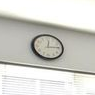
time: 12:13
